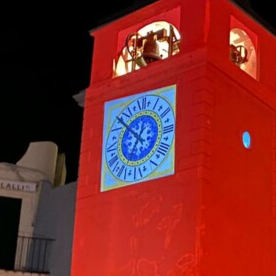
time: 6:52
